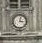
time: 3:02
